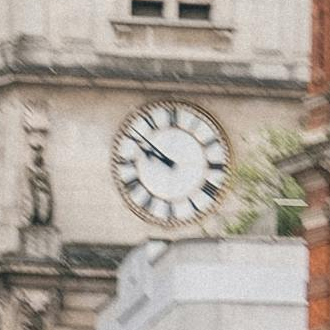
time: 9:51
